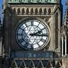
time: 2:15
